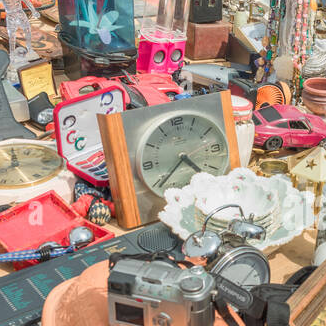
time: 4:39
